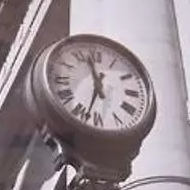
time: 11:32
